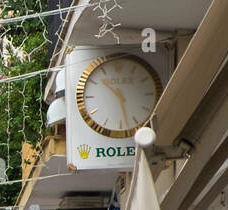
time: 10:27
